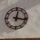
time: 12:16
